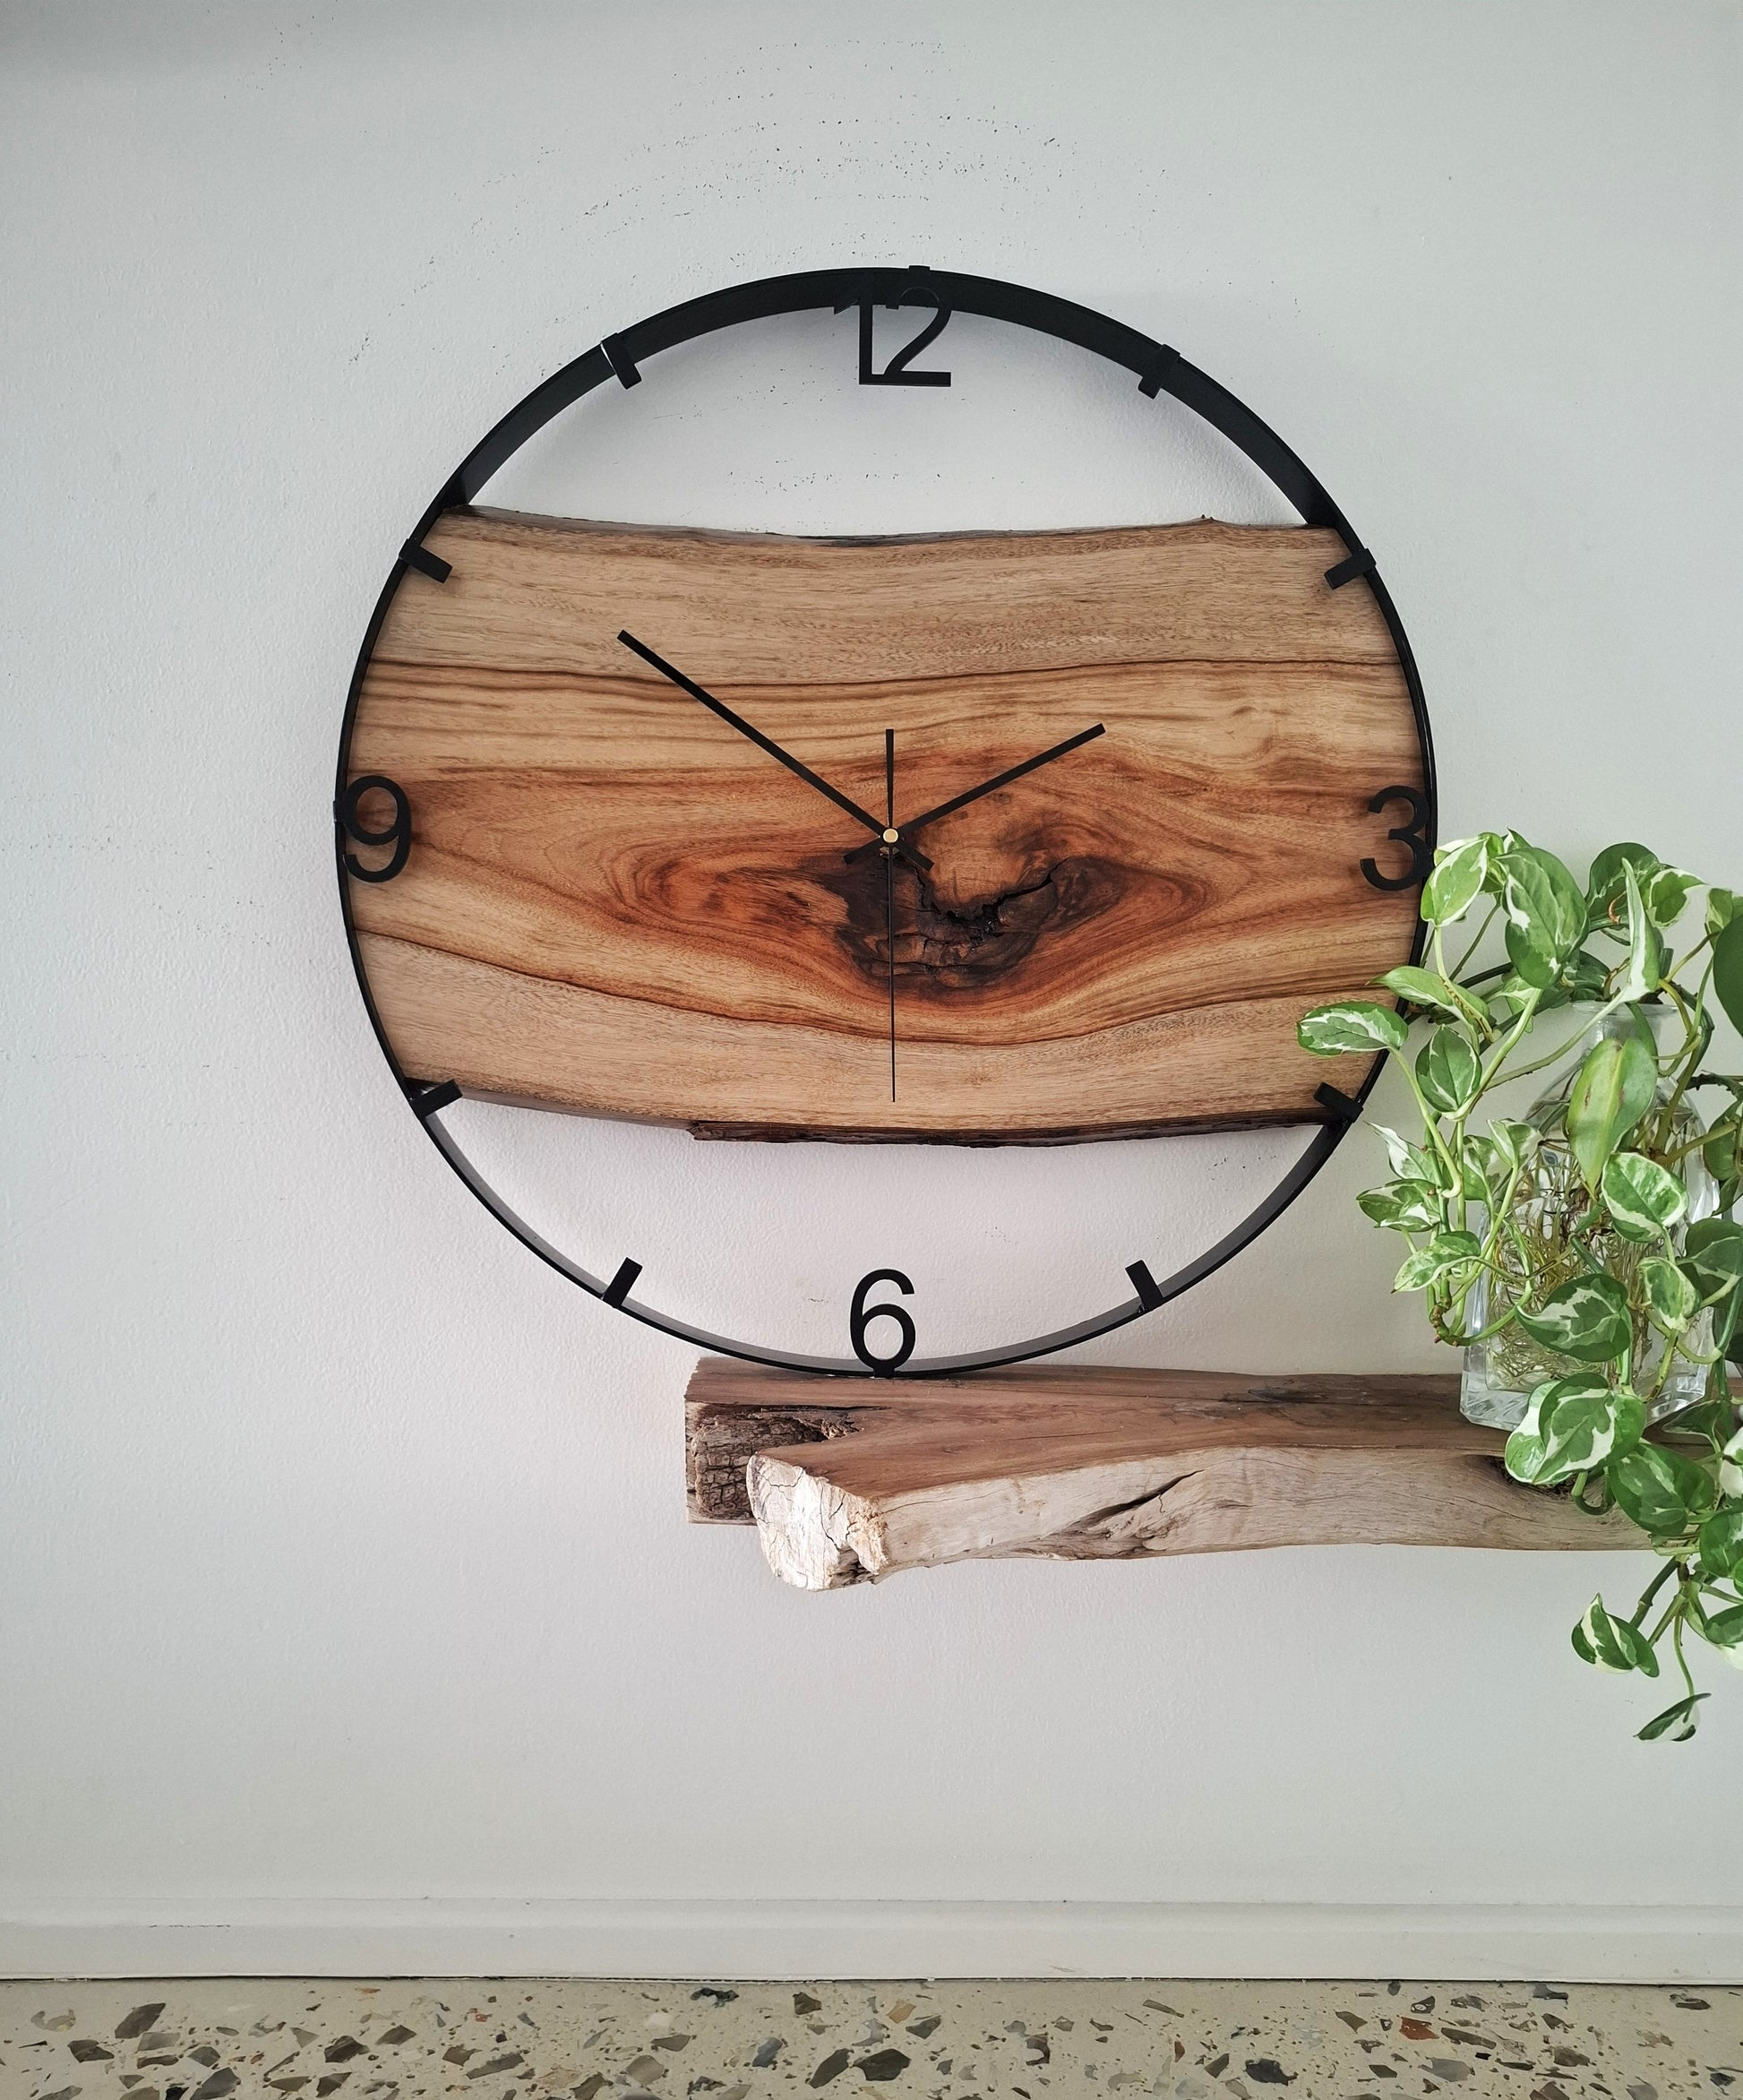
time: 1:51
